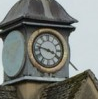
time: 3:47
